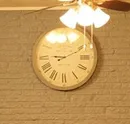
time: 9:10
